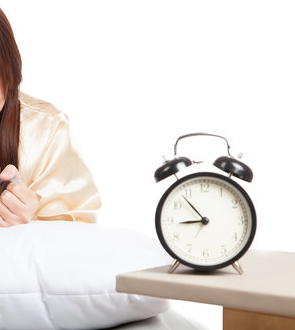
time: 8:53
